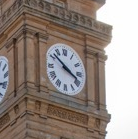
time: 3:51
